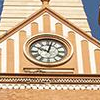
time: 10:02
